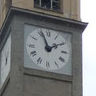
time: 1:56
